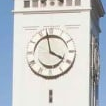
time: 3:58
